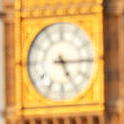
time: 5:14
